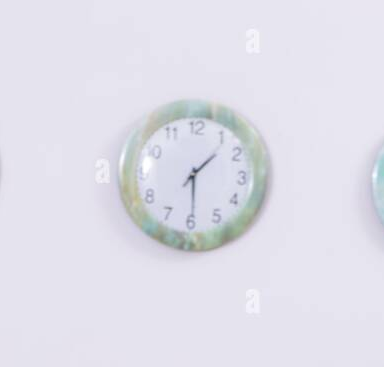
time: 1:29
